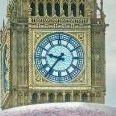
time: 9:36
